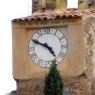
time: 4:49
